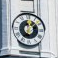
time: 12:07
